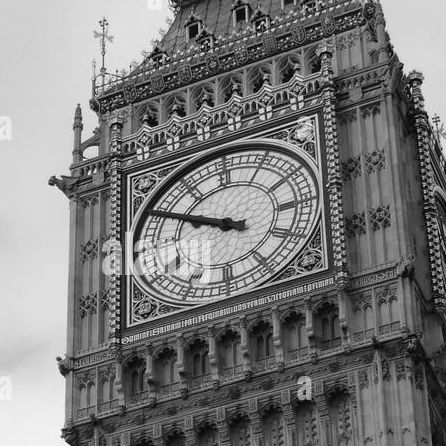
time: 9:50
